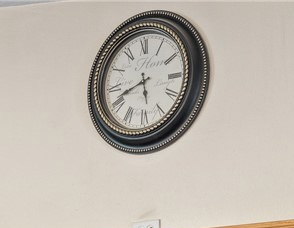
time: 5:41
